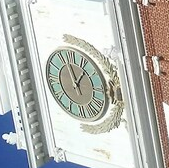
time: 12:57
